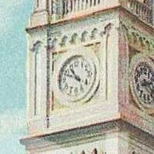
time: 10:48
